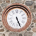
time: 5:26
